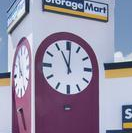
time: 11:01
